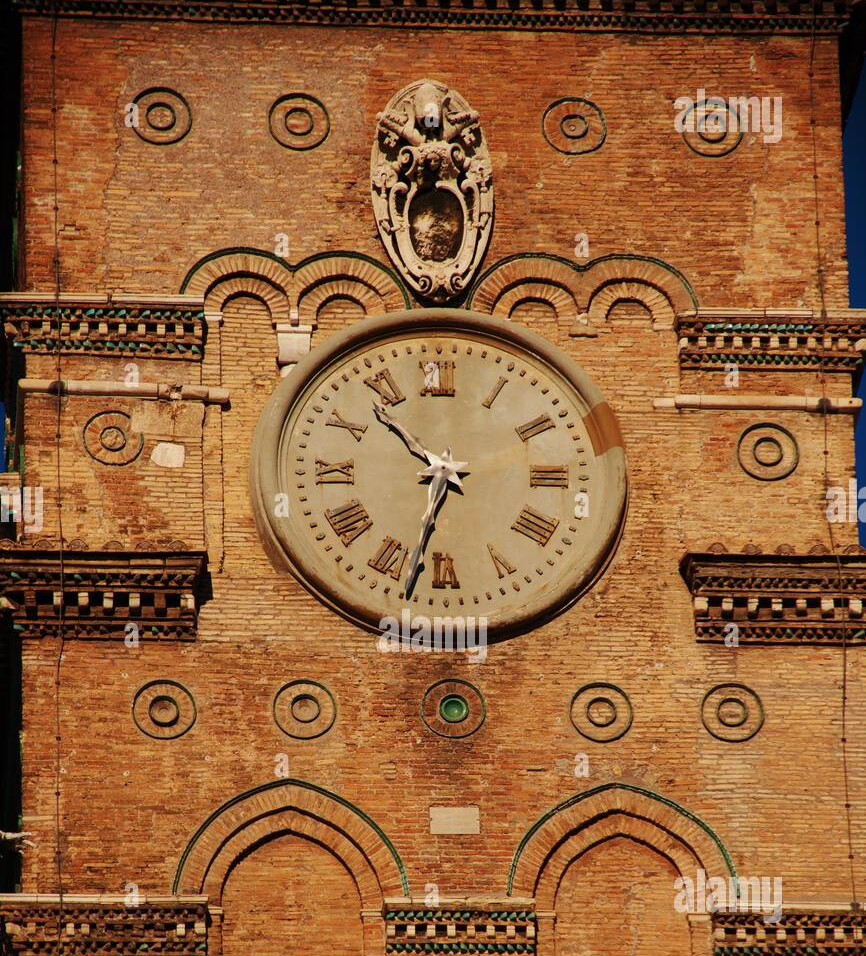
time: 10:32
